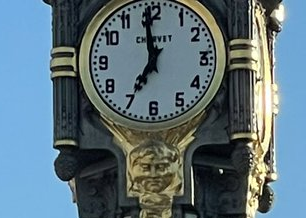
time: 6:58
